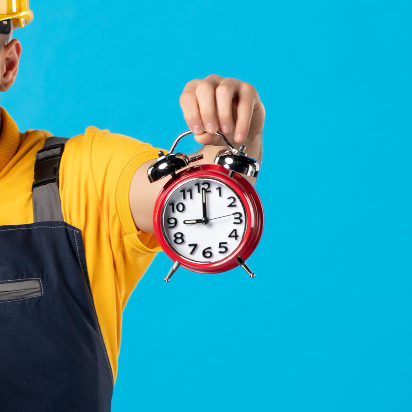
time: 9:00
